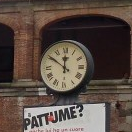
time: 11:50
